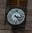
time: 3:23
